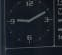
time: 9:10
